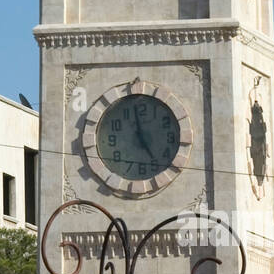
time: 4:59
